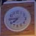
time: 7:44
